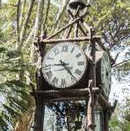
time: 9:23
